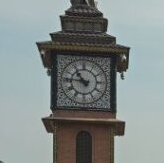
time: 10:46
